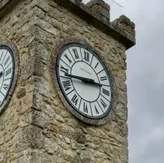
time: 2:43
